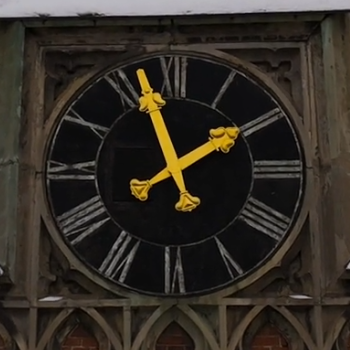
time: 1:57
